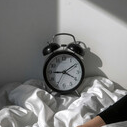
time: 9:09
